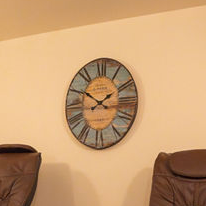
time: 1:50
